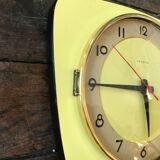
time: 5:45
